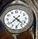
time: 7:22
